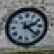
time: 2:22
